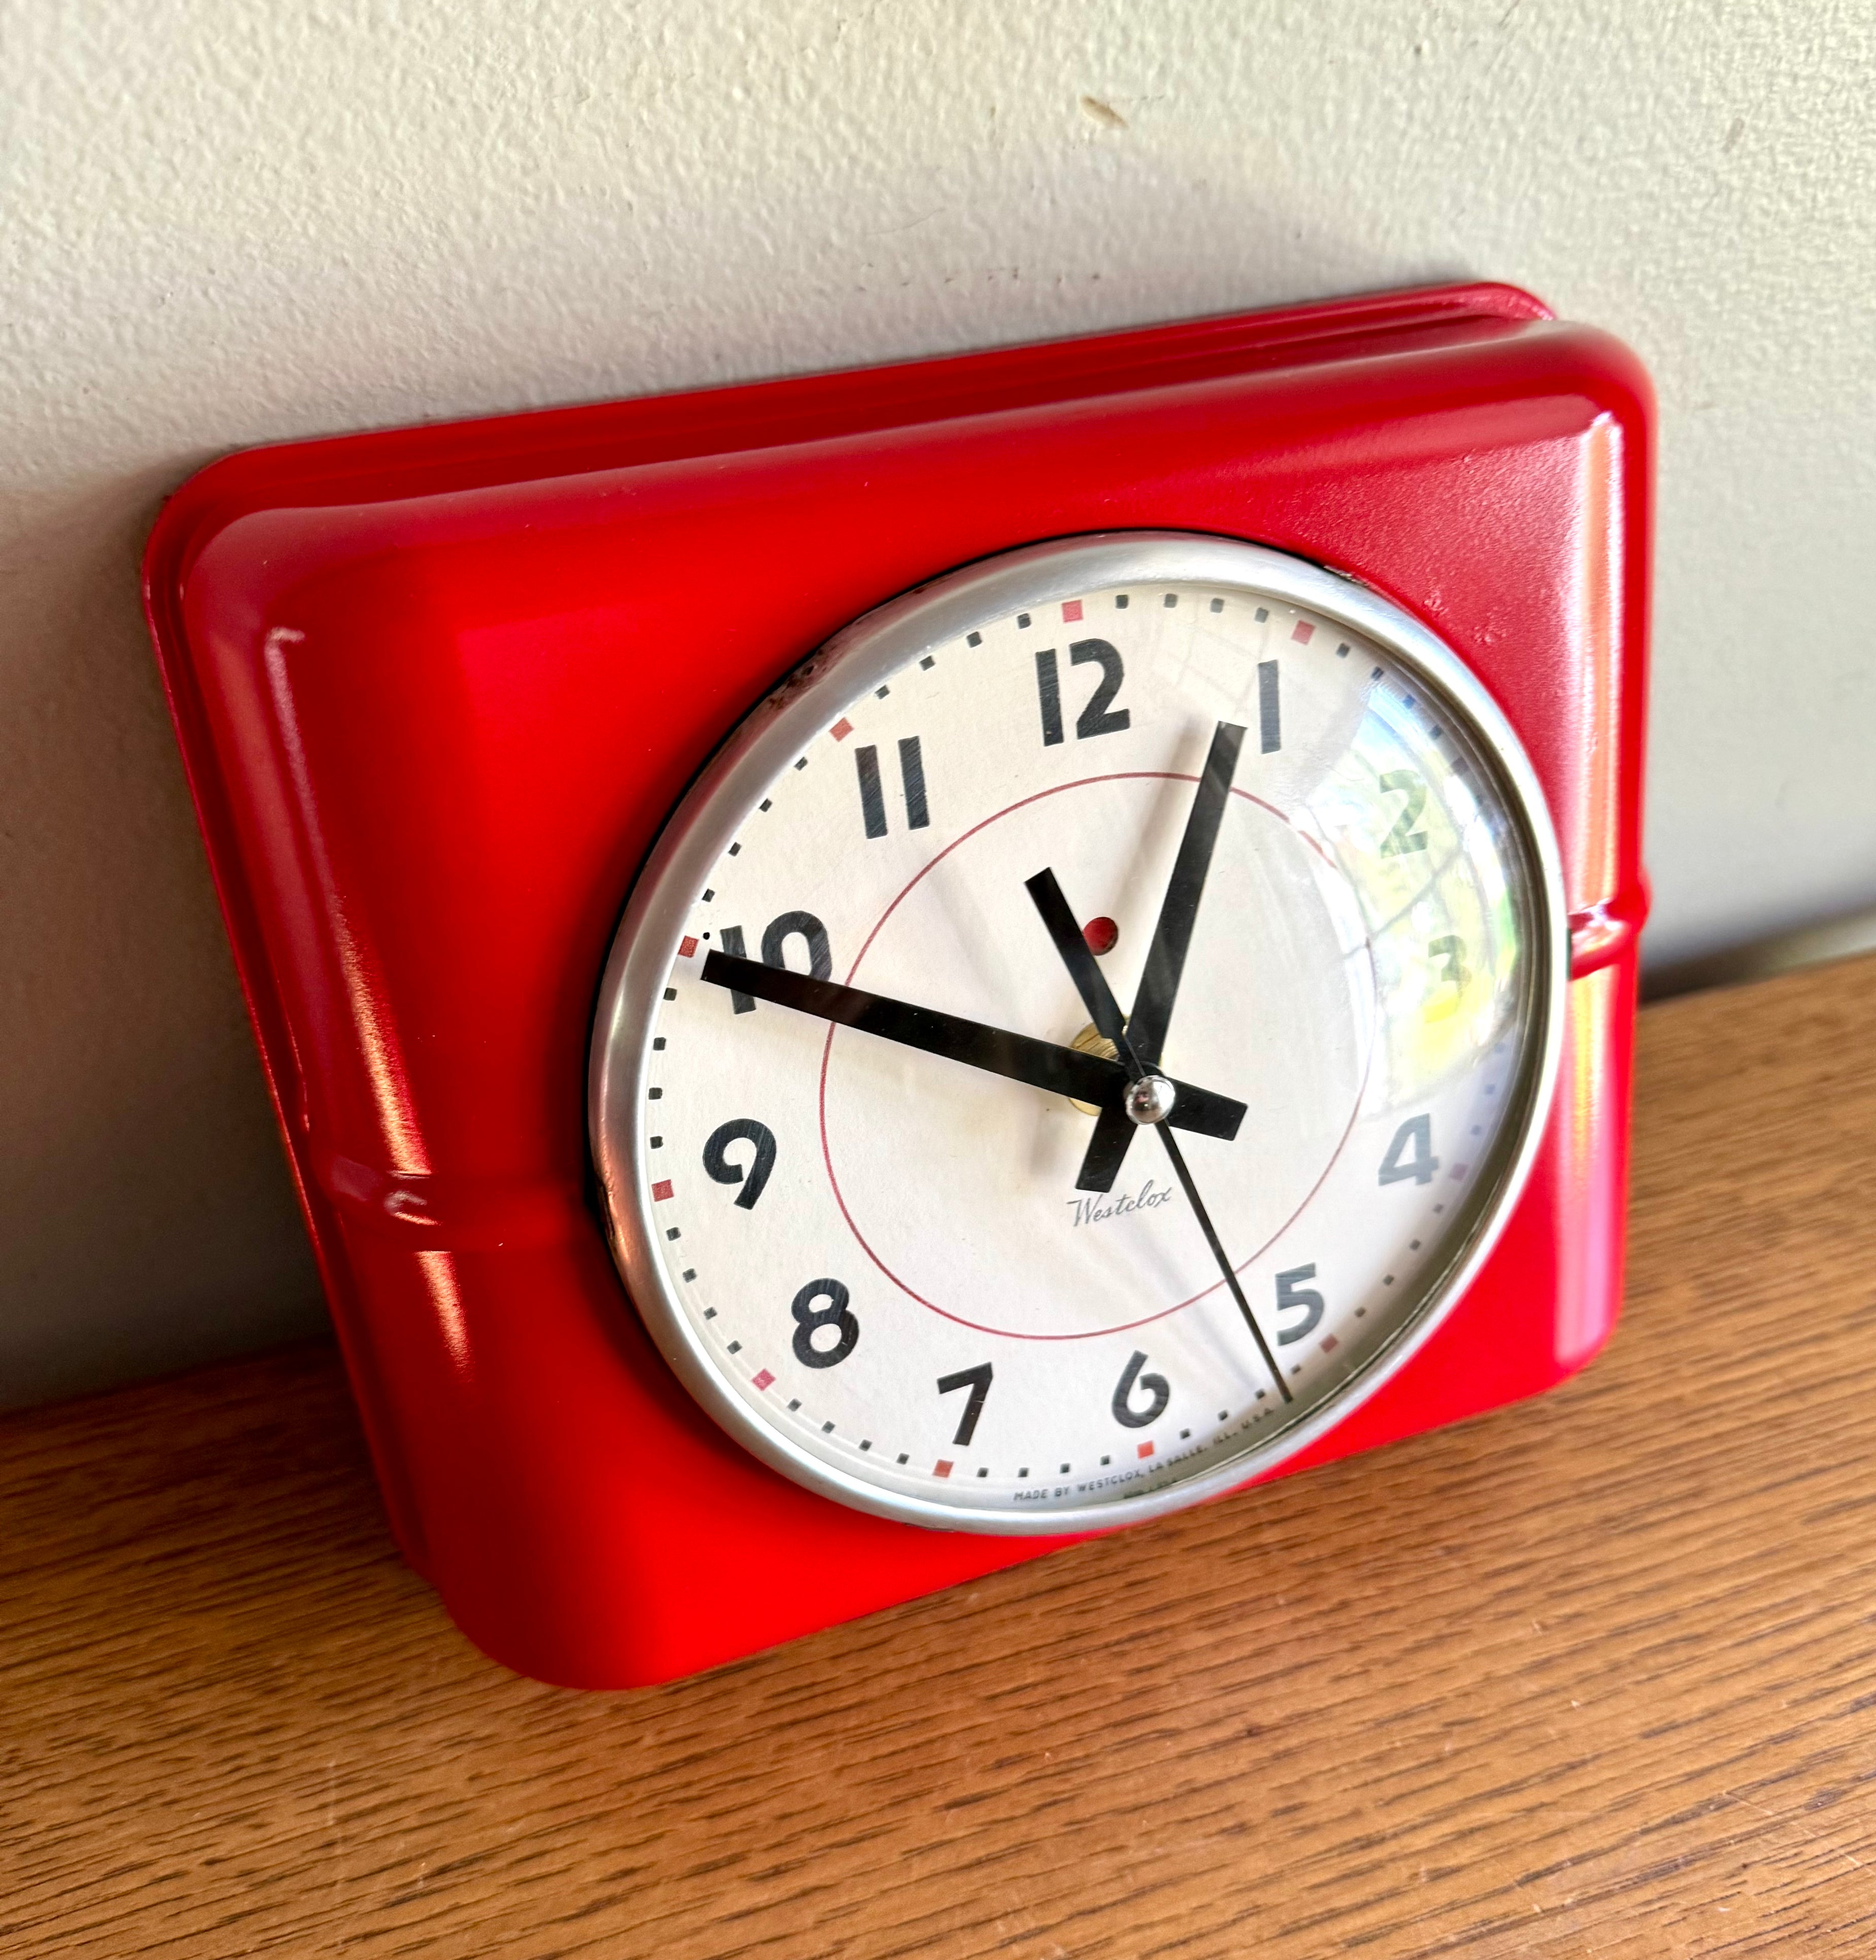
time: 12:49
